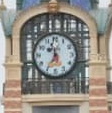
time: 11:35
